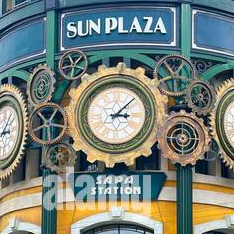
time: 3:08
